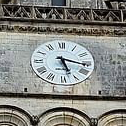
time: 5:16
